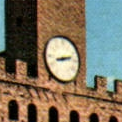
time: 8:12
